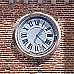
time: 1:22
